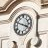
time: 3:48
